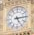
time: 5:14
